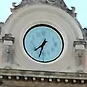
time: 7:32
